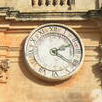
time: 2:21
